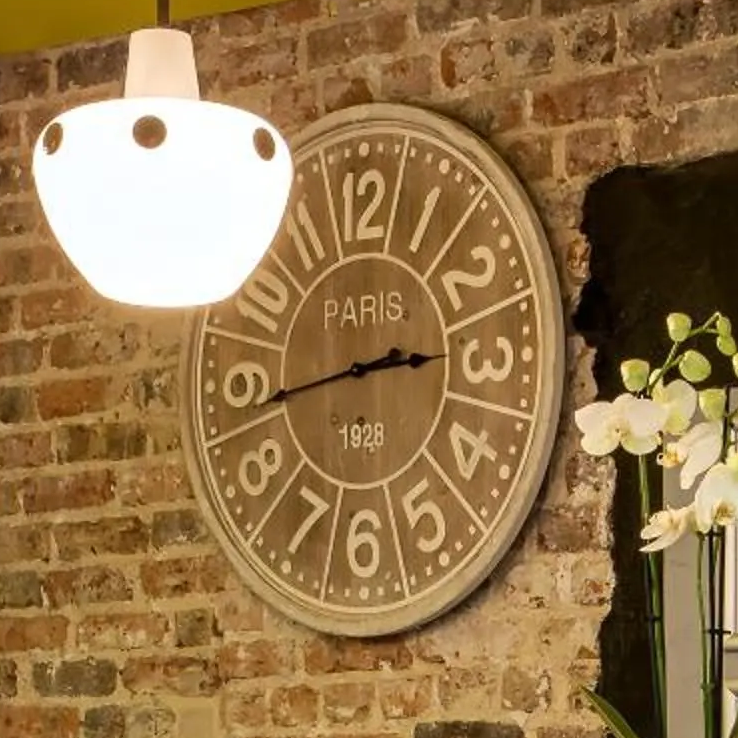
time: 2:43
